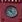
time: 12:23
